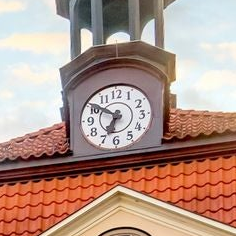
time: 6:50
